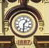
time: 1:30
